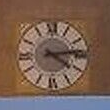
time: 4:13
